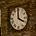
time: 4:00
